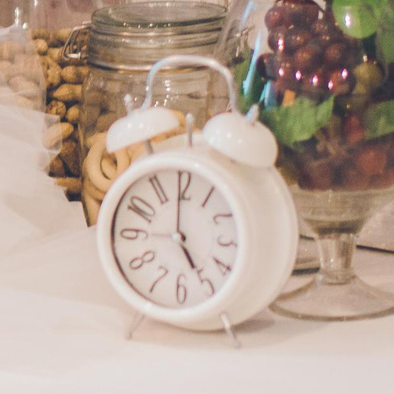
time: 4:59
